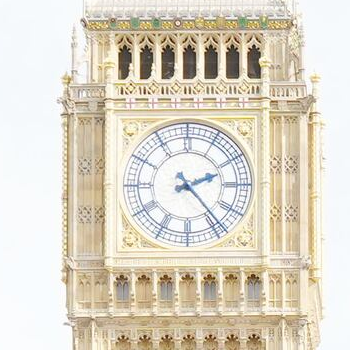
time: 2:23
